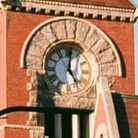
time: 5:01
